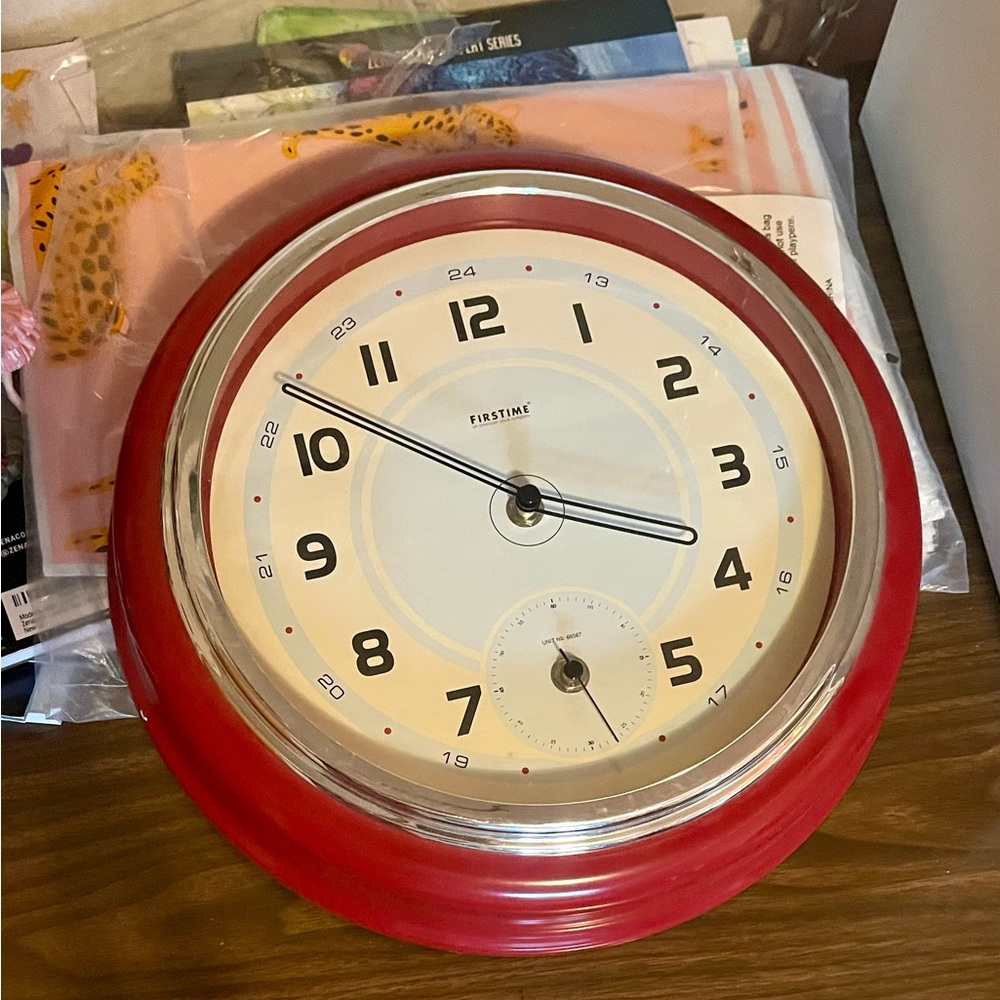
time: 3:51
